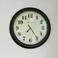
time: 7:24
